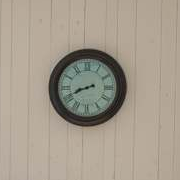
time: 8:41
